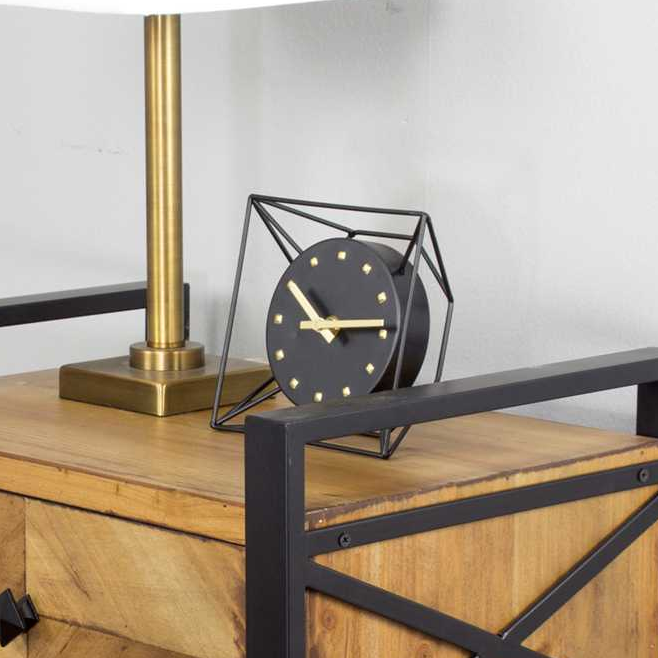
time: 10:14
